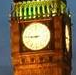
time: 8:45
